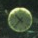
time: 10:36
